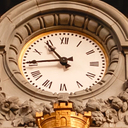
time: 10:44
